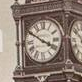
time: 3:50
